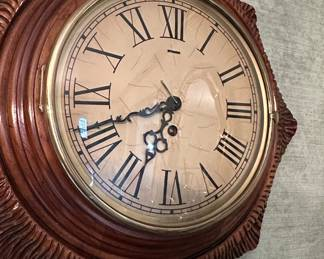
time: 6:41
